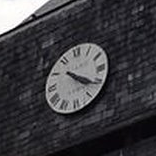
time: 4:20
